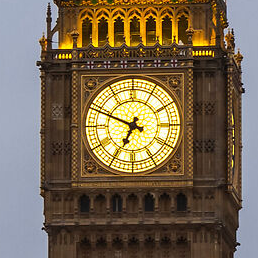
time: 6:48
